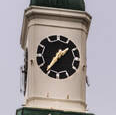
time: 1:36
